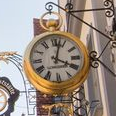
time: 4:02
